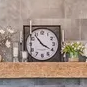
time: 3:53
